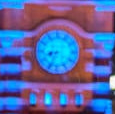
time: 8:34
